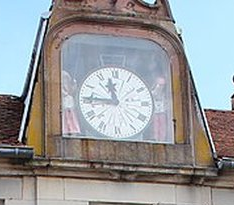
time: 11:45
